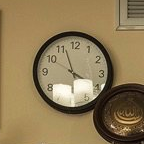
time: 3:56
